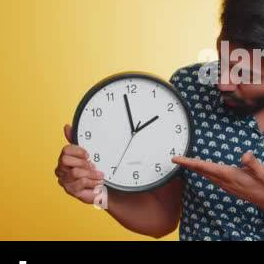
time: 1:58
